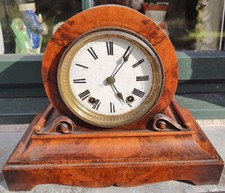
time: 5:05
